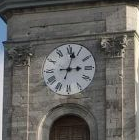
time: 3:02
